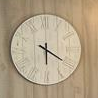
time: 6:20
